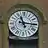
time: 11:15
